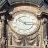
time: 10:15
